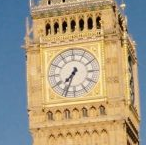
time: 7:34
